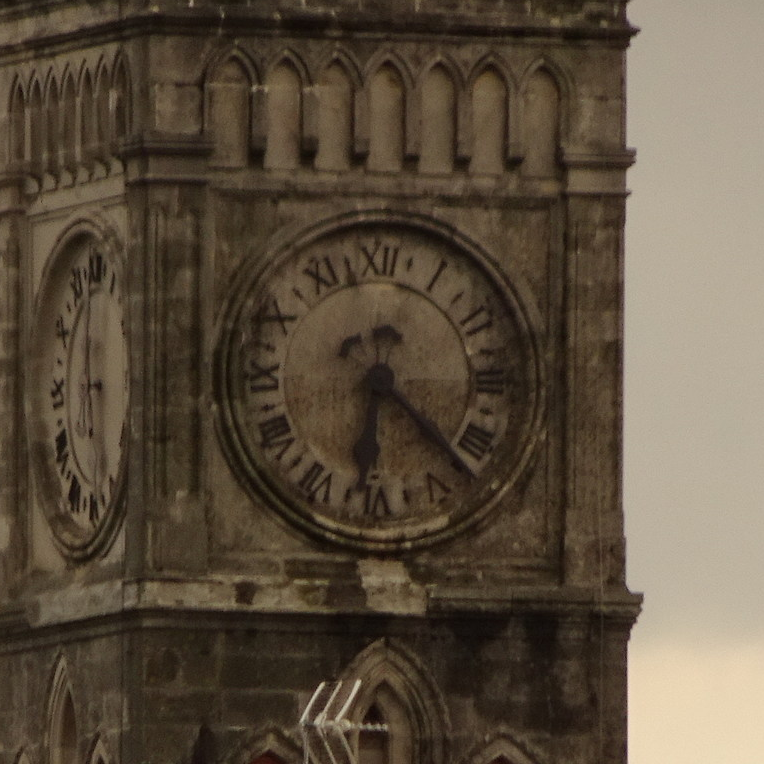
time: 6:22
